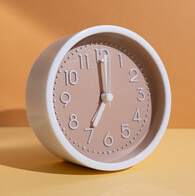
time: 7:00
